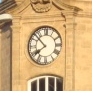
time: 7:52
